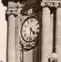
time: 4:31
